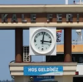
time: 3:01
